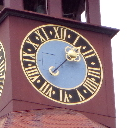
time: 1:37
